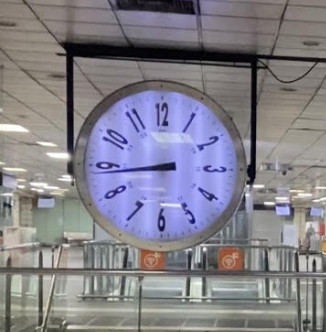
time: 8:43
